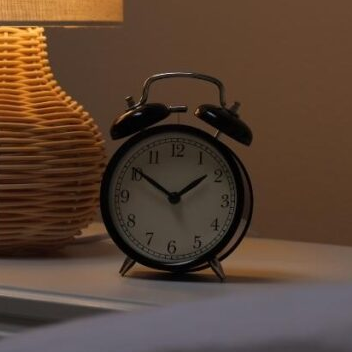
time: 1:50
